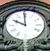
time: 9:59
